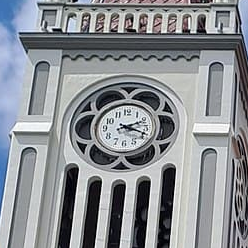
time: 2:18
